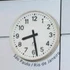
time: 8:28
